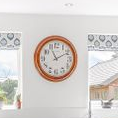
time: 11:10
